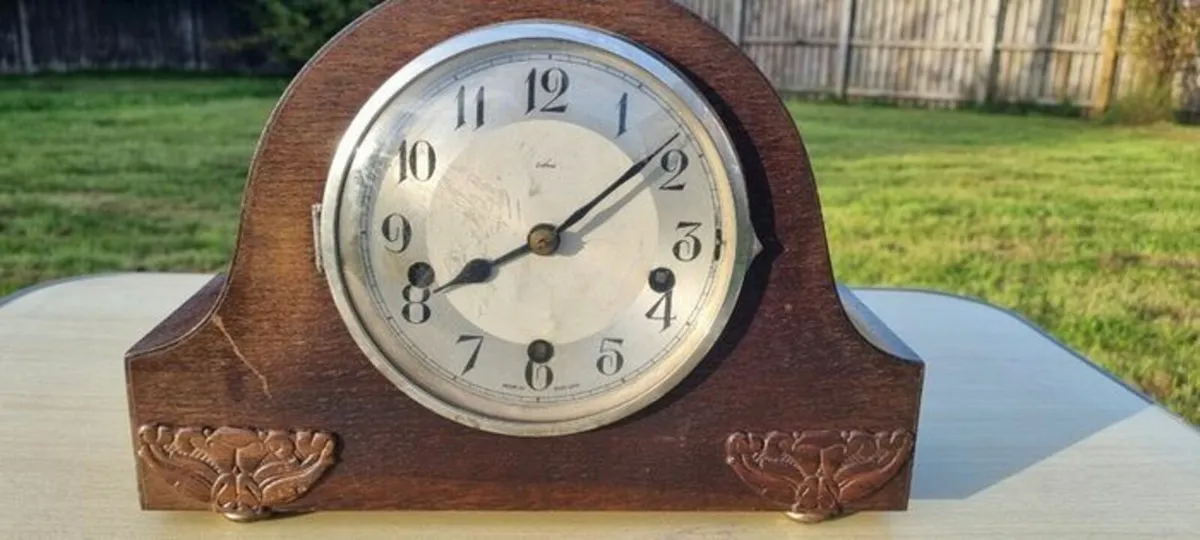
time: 8:08
